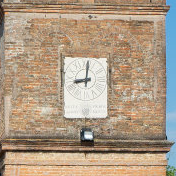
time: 9:01
